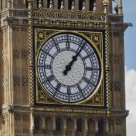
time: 1:06
